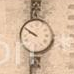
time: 9:50
